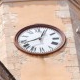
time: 12:42
